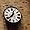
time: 12:38
